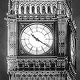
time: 10:20
